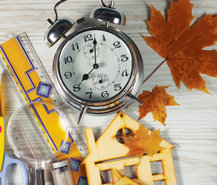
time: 8:02
